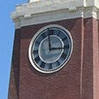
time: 2:58
